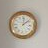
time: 12:07
